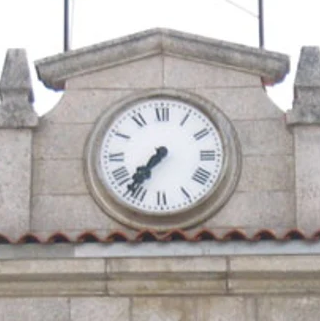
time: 7:36
